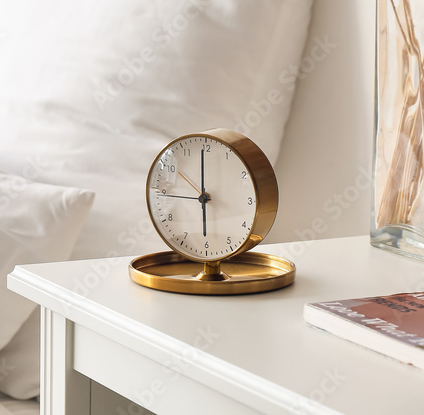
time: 5:59
